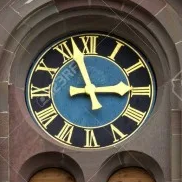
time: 2:56
